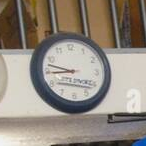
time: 8:47
